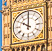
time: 10:00
